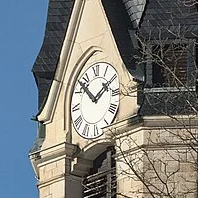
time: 1:52
